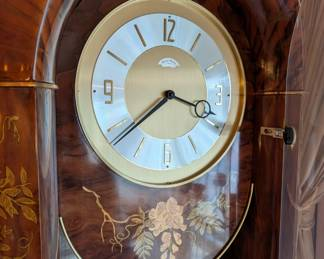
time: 3:38
